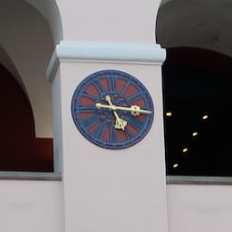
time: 5:14
